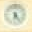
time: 6:23
